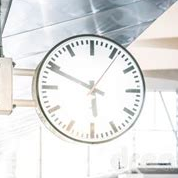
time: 5:49
